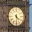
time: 4:29
